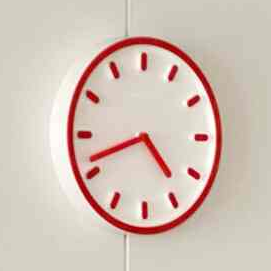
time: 4:41
